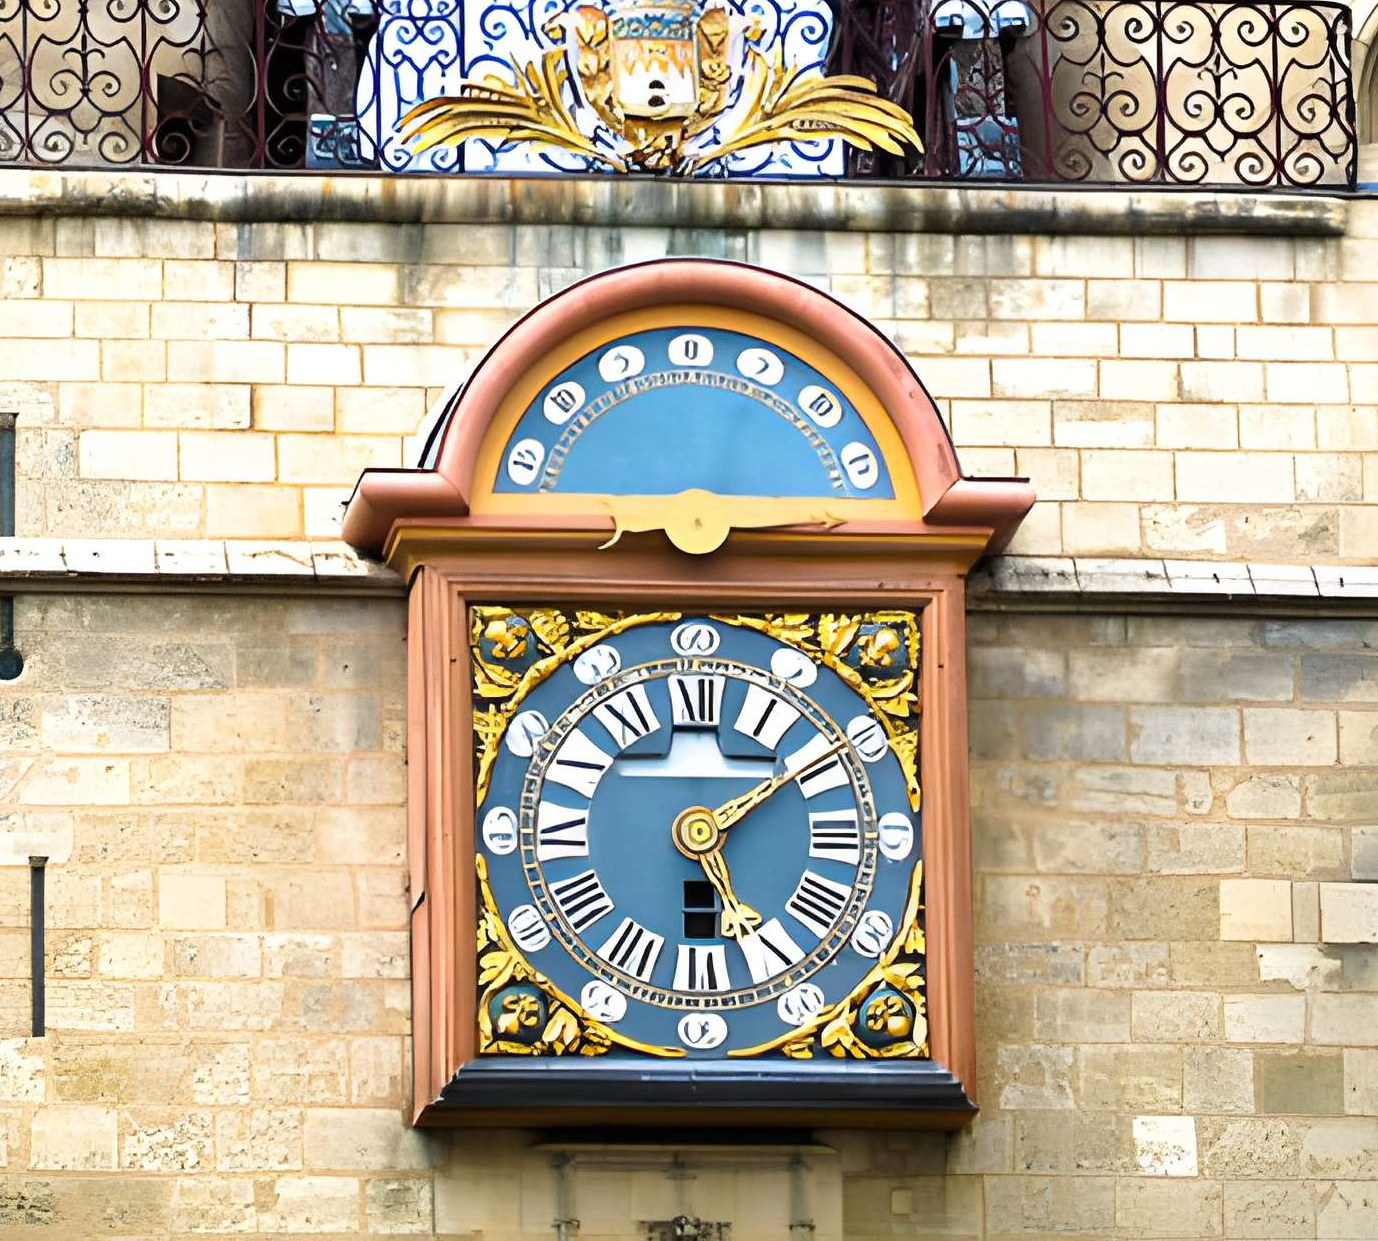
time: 6:08
